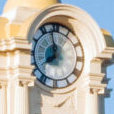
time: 7:58
